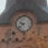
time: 9:38
